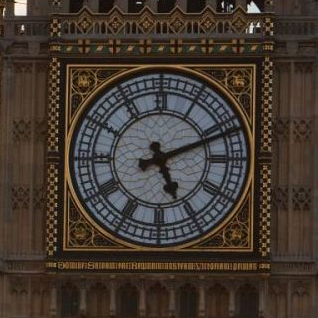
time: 5:11
